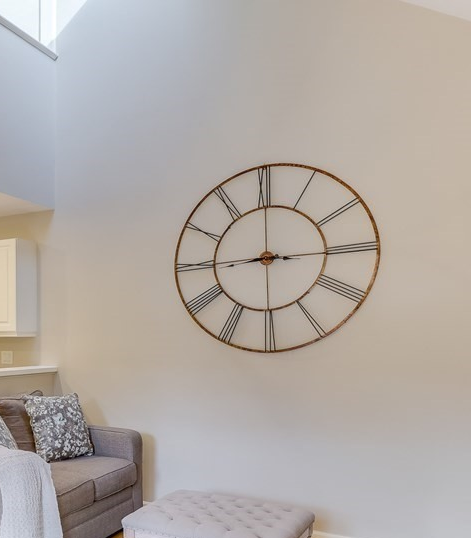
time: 9:00
